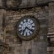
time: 7:21
